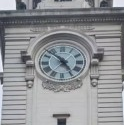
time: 4:52
